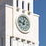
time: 12:47
